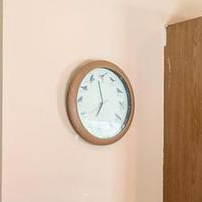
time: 6:58
